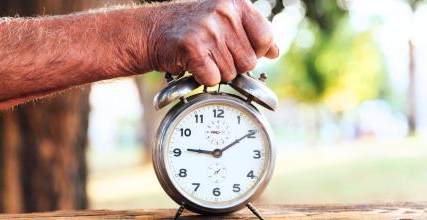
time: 9:09
